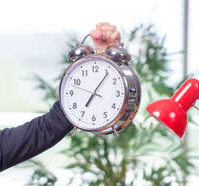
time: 7:06
